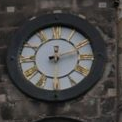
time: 12:12
